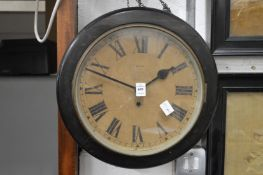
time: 1:48
